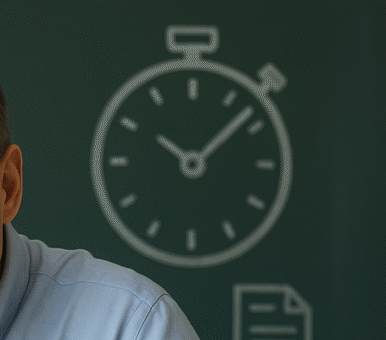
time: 10:07
